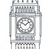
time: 10:07
